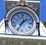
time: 1:34
